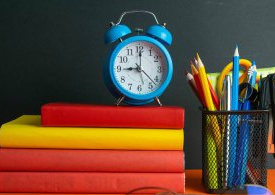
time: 9:00
